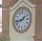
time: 1:43
